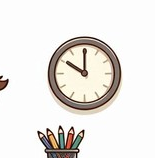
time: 10:00
